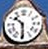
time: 10:29
